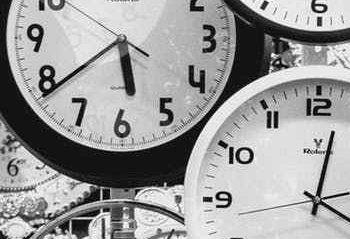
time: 5:38
